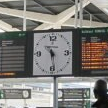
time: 10:28
